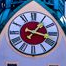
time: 1:17
